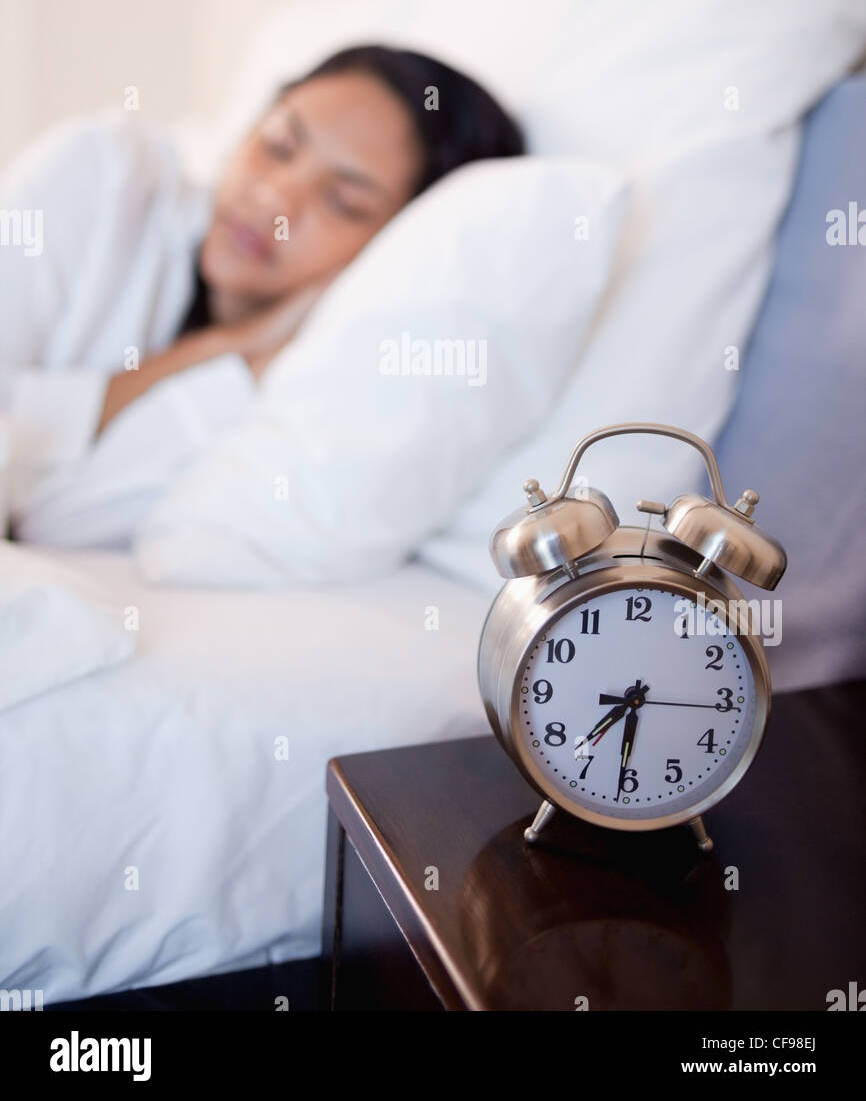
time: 7:31
